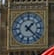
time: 1:22
